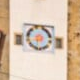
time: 8:32
